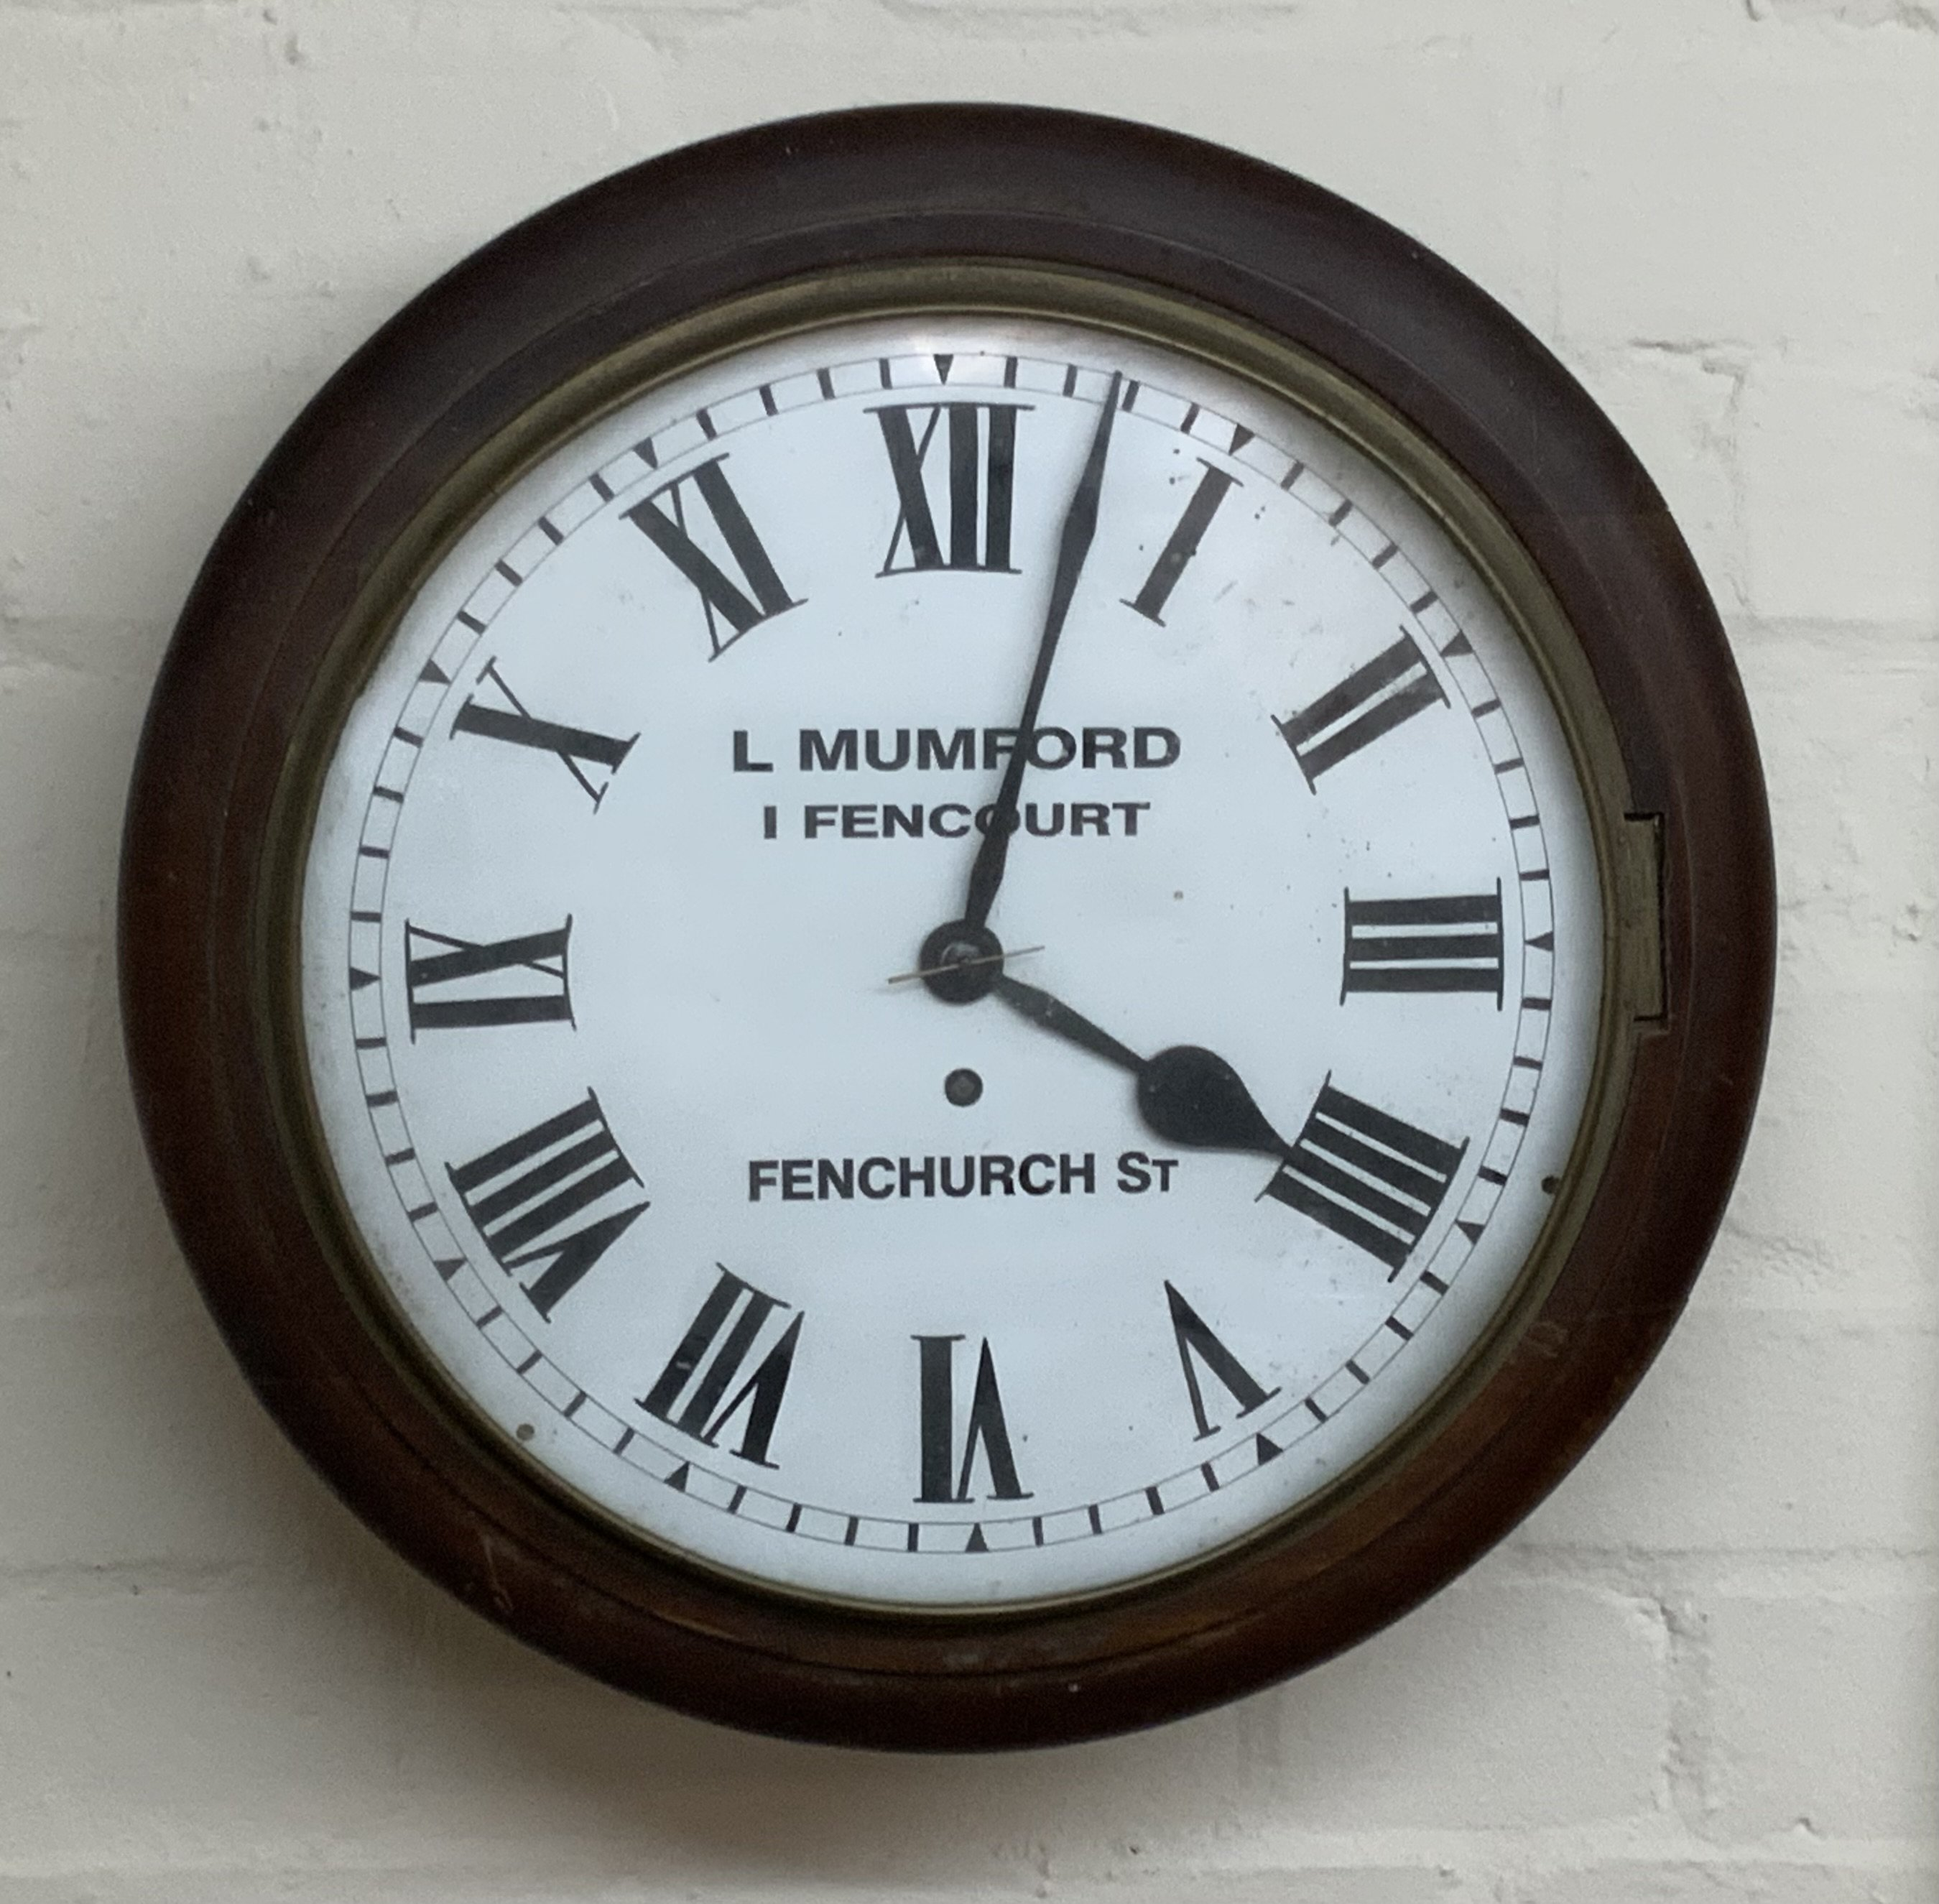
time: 4:02
